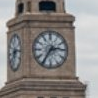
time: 2:35
